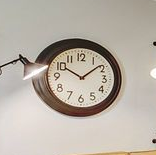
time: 10:08
